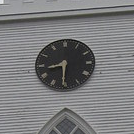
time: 8:30
